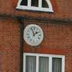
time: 1:56
